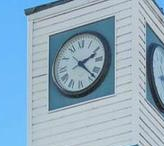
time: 2:22
